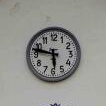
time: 5:47
